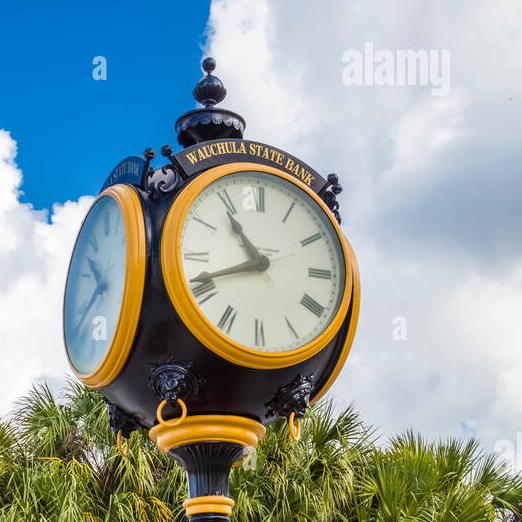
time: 10:41
